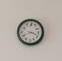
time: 3:40
